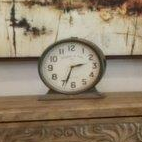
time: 2:33
